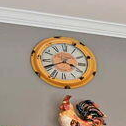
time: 3:40
